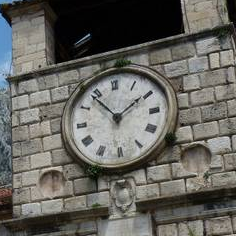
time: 1:53
